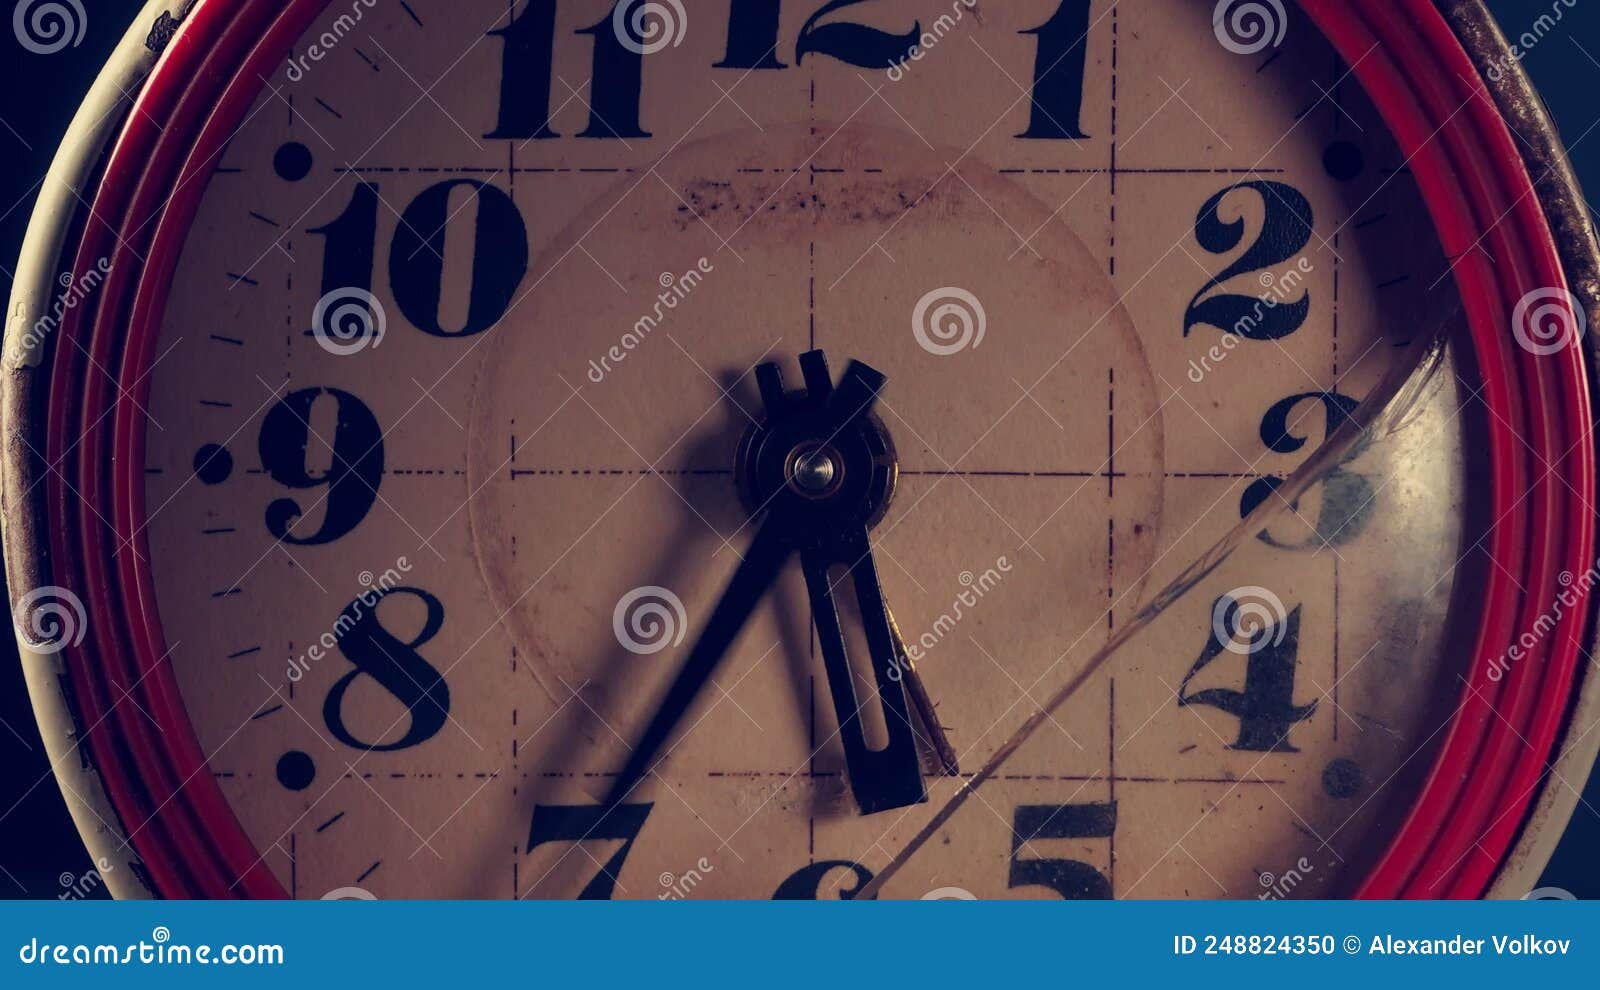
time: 5:34
